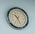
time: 10:26
